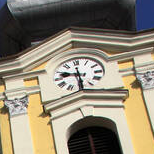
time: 9:29
